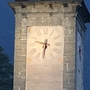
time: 9:32
